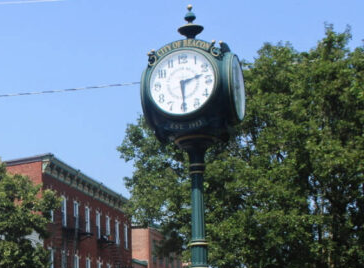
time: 2:29
